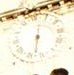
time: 12:32
